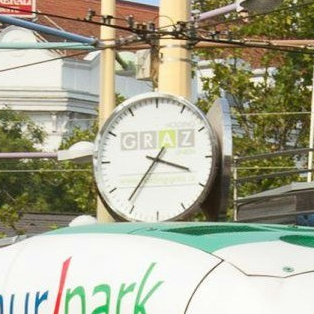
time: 3:36
